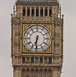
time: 6:31
